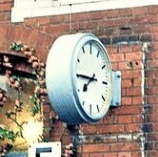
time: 7:45
